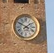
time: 1:50
